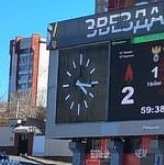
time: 4:16
